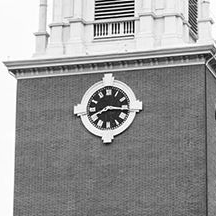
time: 8:15
